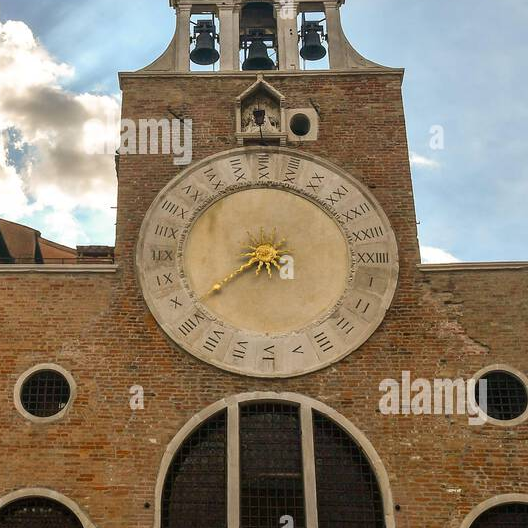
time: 7:37
